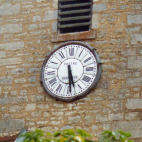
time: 5:29
